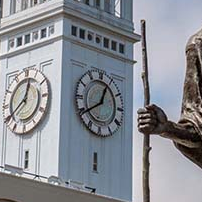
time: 12:39
